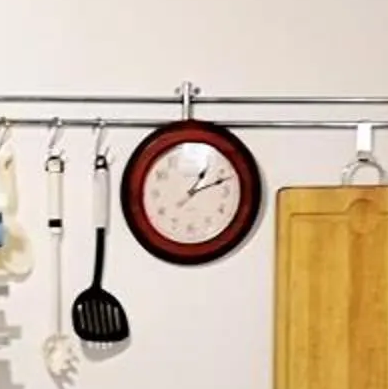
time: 1:11
